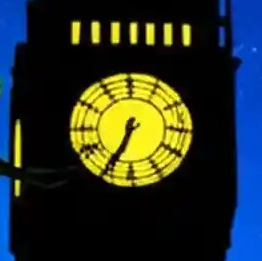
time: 6:34
